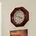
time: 3:47
